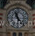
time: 11:23
